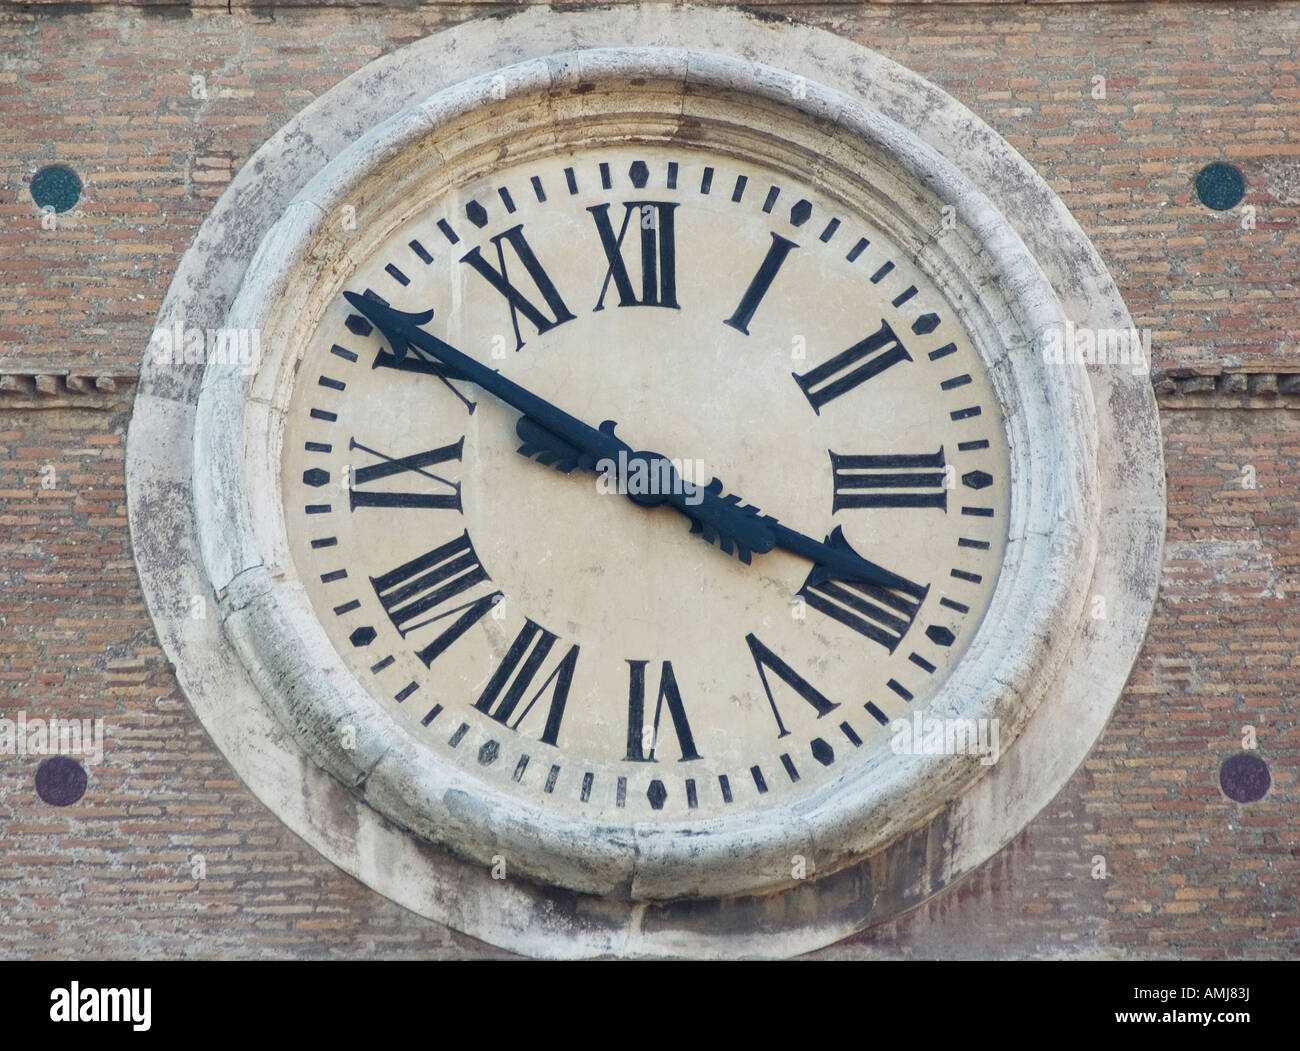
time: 3:50
